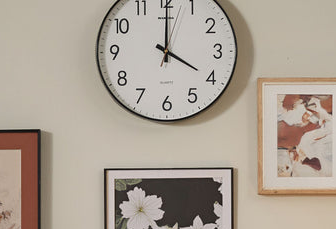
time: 4:00
